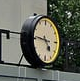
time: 4:46
